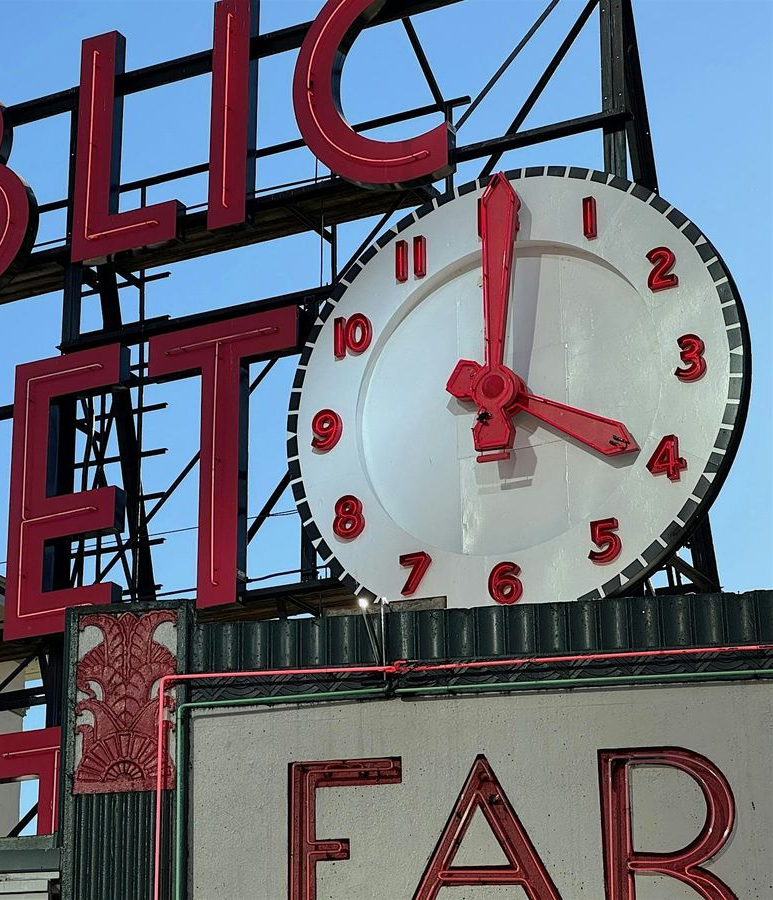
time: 4:00
